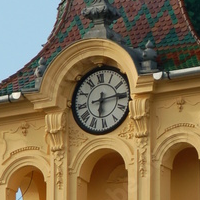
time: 6:14
